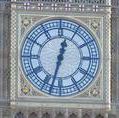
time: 12:32
